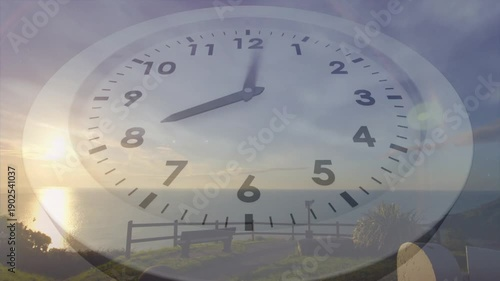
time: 8:01
